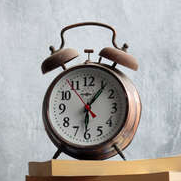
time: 6:06
